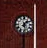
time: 1:28
